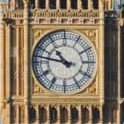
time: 10:47
